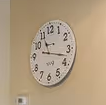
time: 11:17
